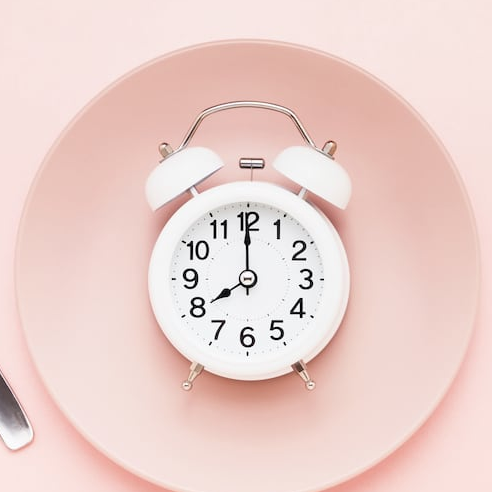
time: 8:00
